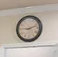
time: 9:11
